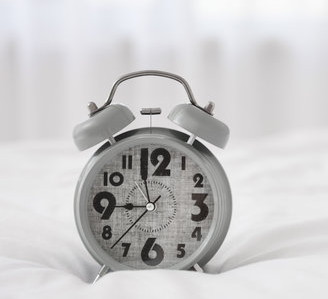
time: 8:57
